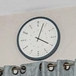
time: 4:03
